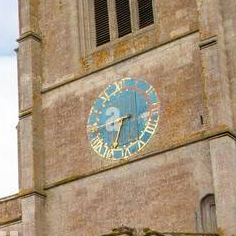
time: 8:32
